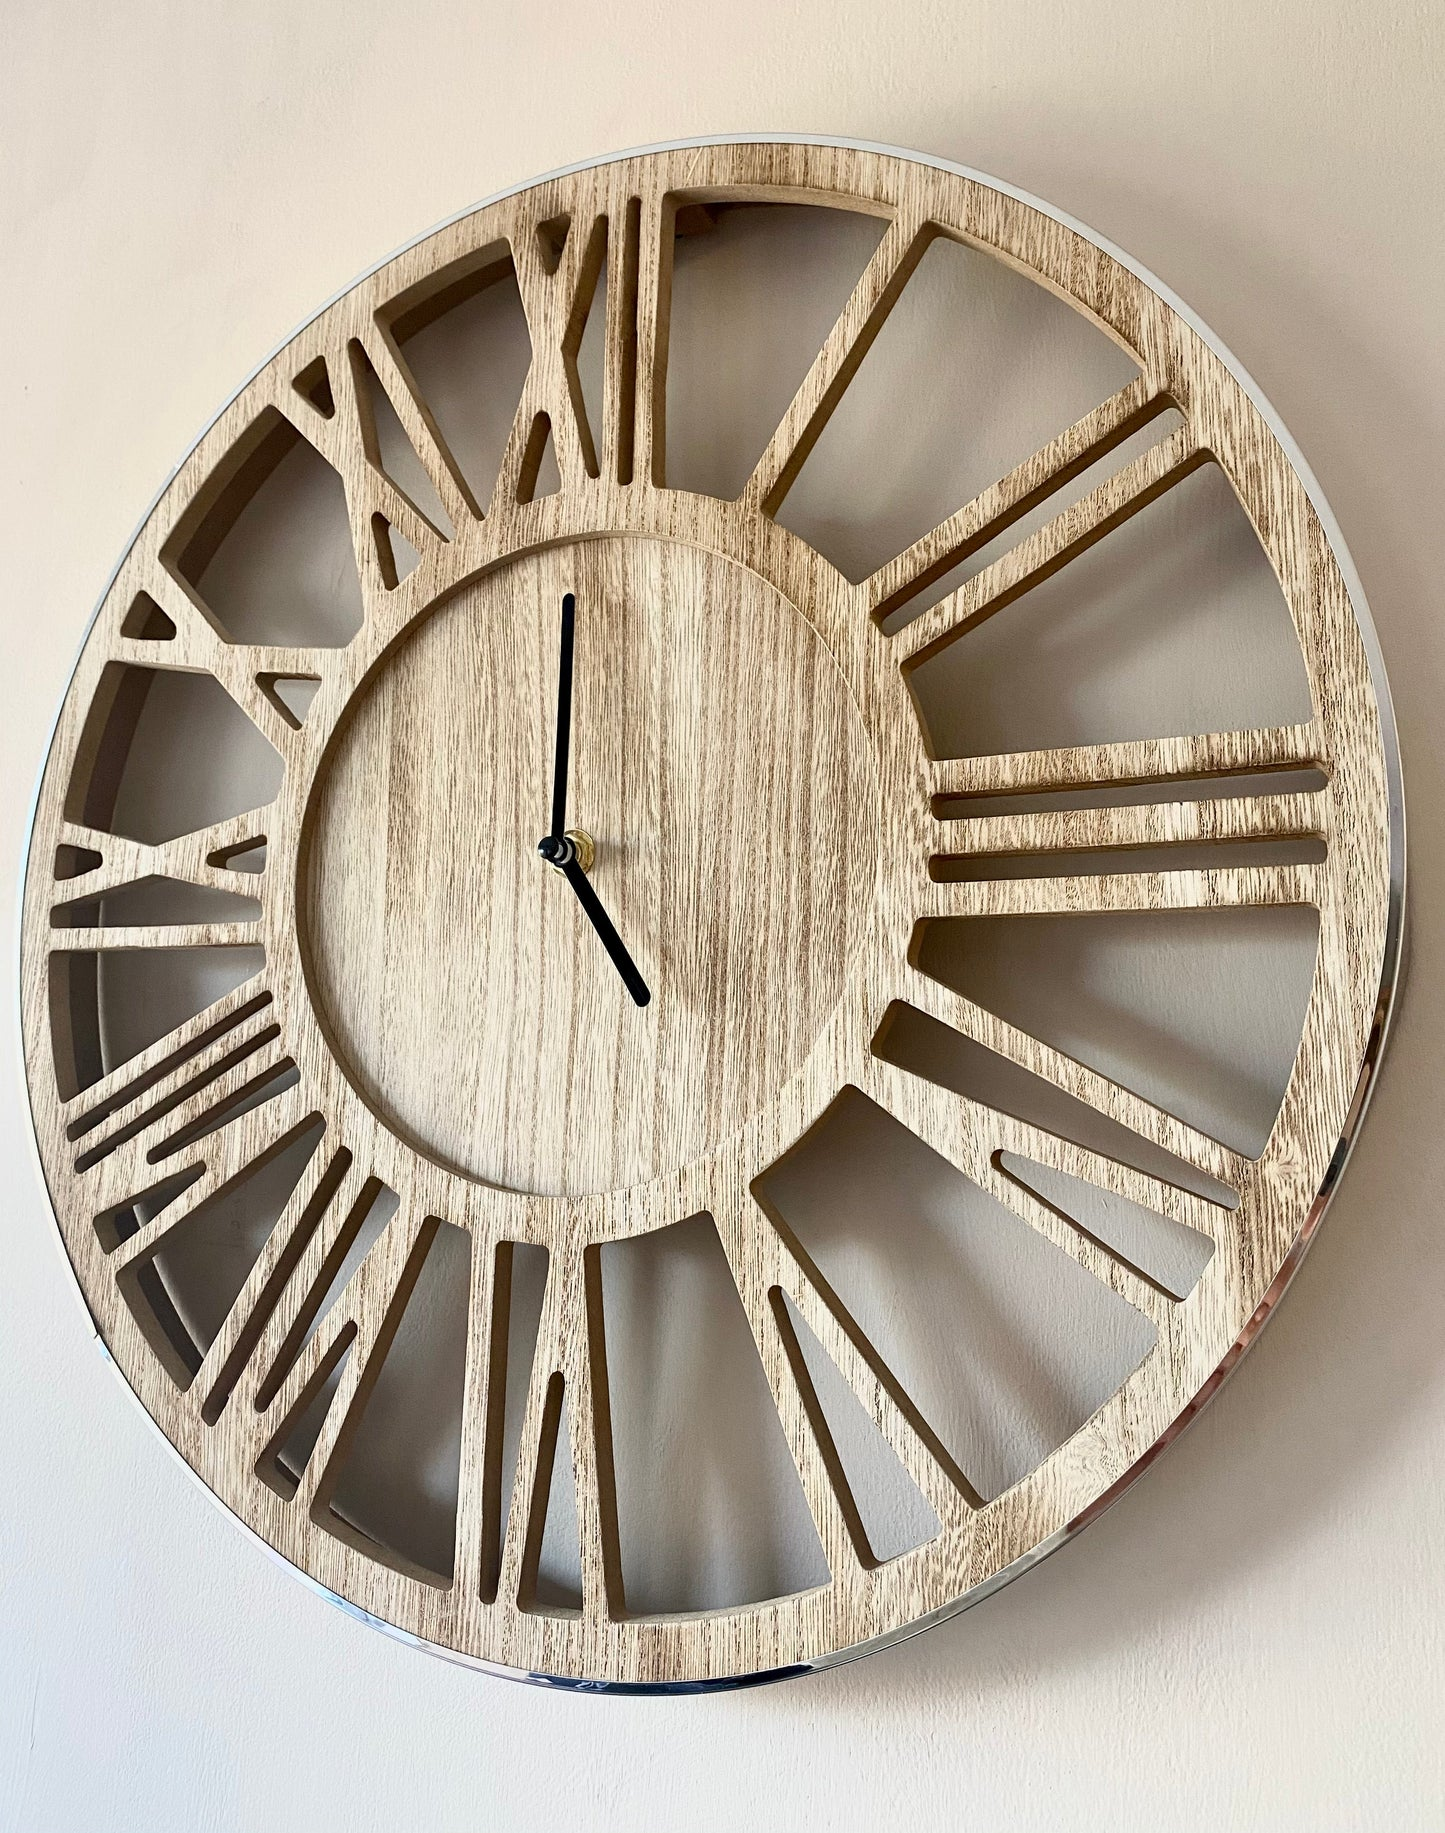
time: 5:00
